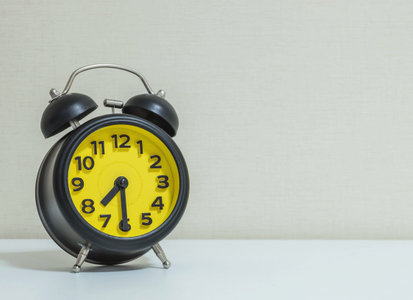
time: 7:30
